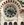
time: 5:18
